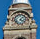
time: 4:07
